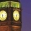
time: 6:32
